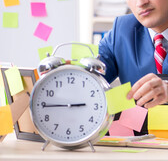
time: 2:44
